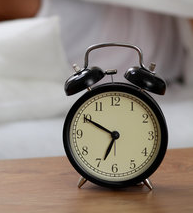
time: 6:49
